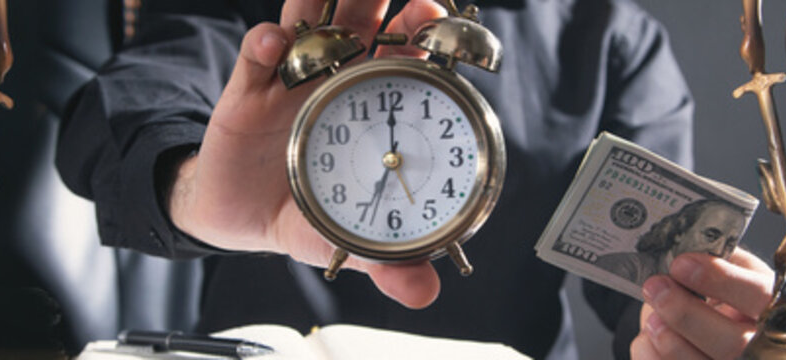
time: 7:00
